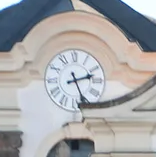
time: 2:26
